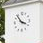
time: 3:54
